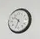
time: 10:34
